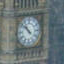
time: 10:52
